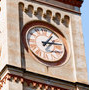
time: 1:13
